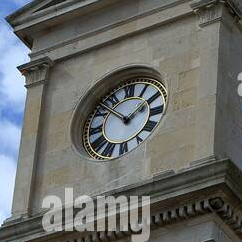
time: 1:51
